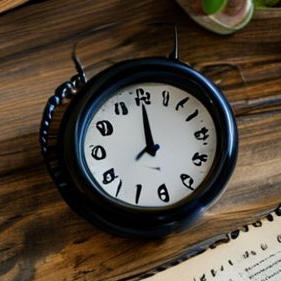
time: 12:00
